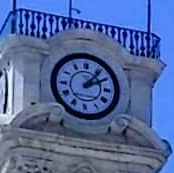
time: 2:06
